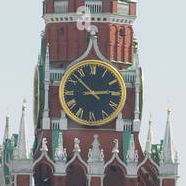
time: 2:52
